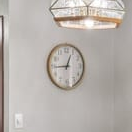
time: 12:44
